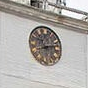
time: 8:12
